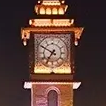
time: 6:49
